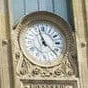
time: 11:22
